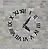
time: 5:07
